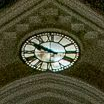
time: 9:50
